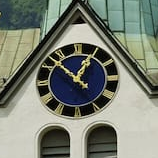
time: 12:52
